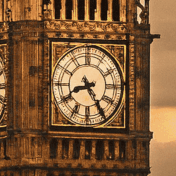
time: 8:24
